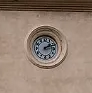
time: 2:12
